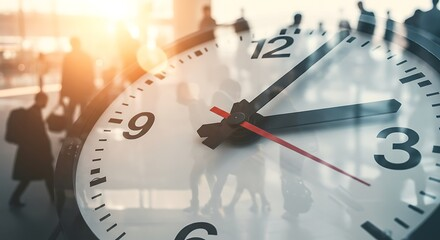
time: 1:12
